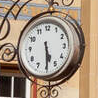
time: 5:29
